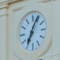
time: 7:04
